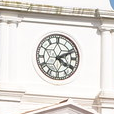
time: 4:11
